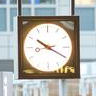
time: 10:19
